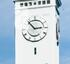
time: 2:53
